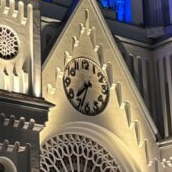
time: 7:33
